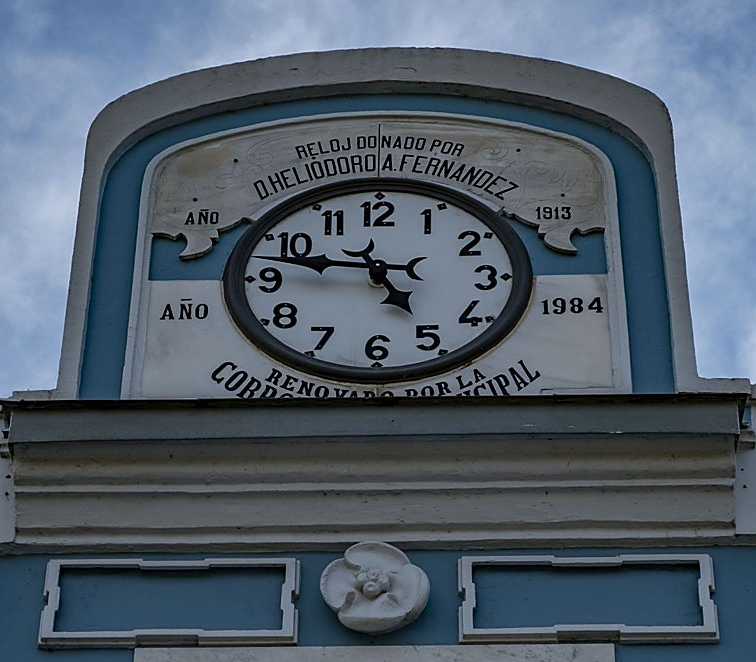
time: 4:46
